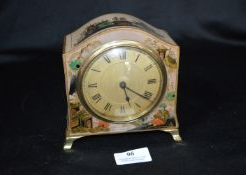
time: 5:20
